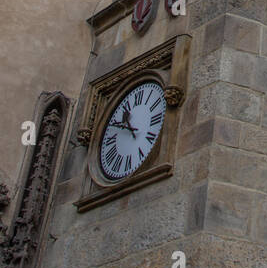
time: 10:49
